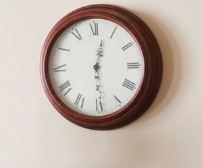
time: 12:29
